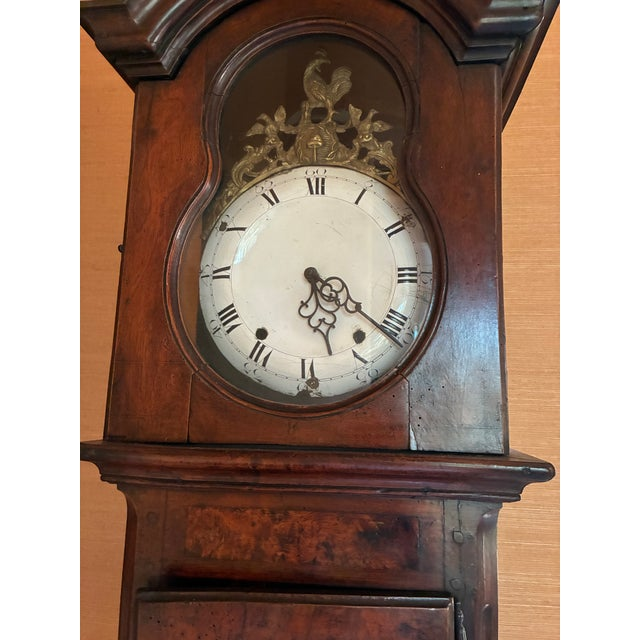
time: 5:21
